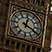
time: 12:19
